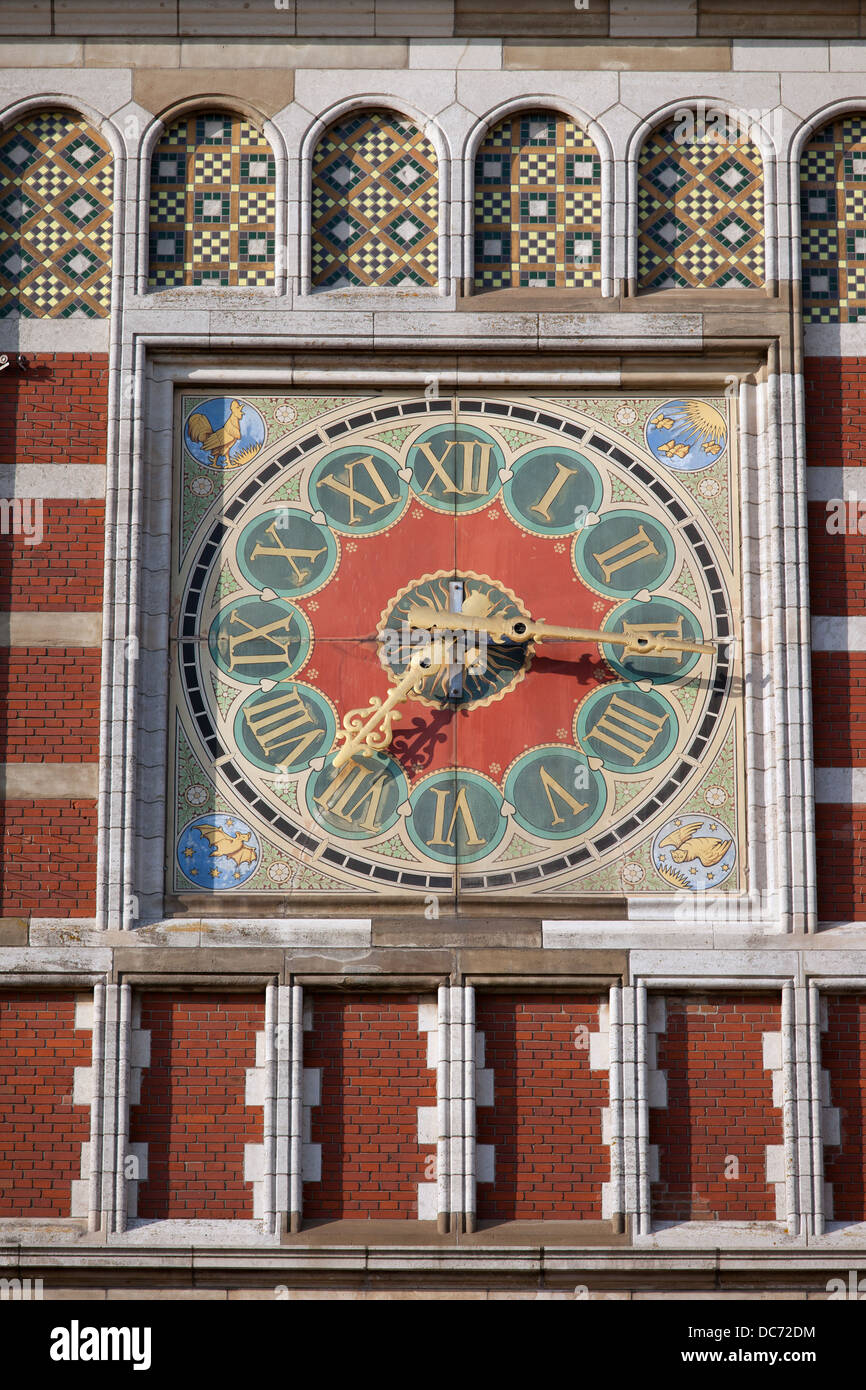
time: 7:15
